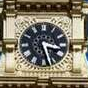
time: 3:27
